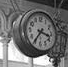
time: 3:35
